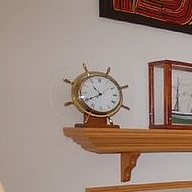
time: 10:40
